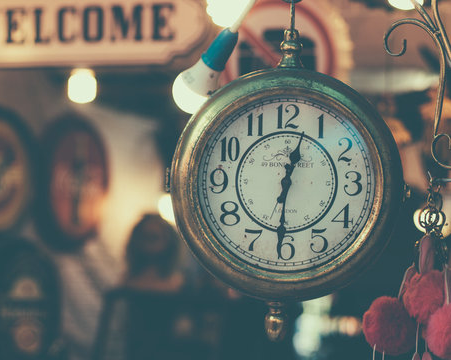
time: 12:30
